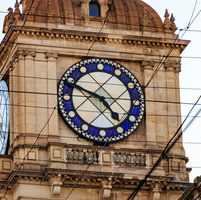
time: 4:48
